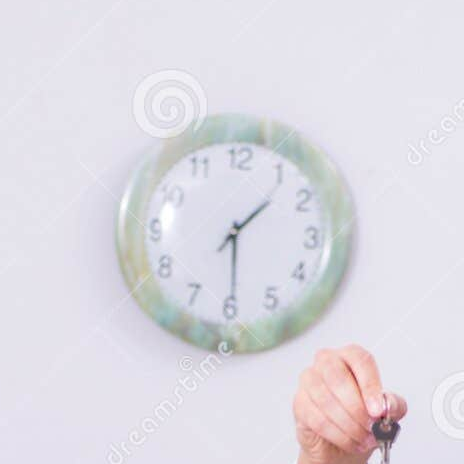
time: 1:29
